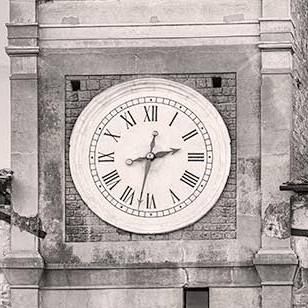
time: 2:32
